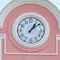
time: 1:08
